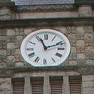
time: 11:11
